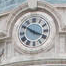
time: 3:50
